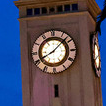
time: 8:07
